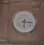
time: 6:15
